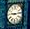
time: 9:13
